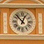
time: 12:52
